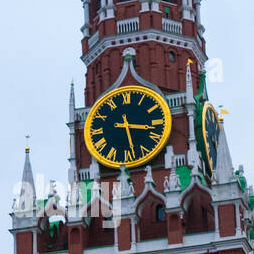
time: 3:28
